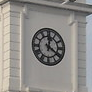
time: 12:20
